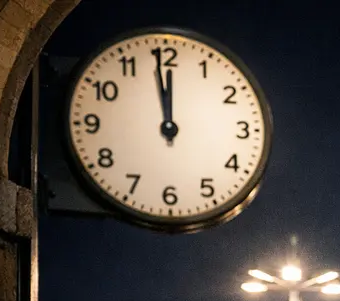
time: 11:58
